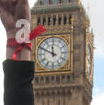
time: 11:49
